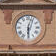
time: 6:03
